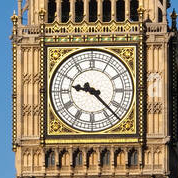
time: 9:22
